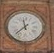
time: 11:37
